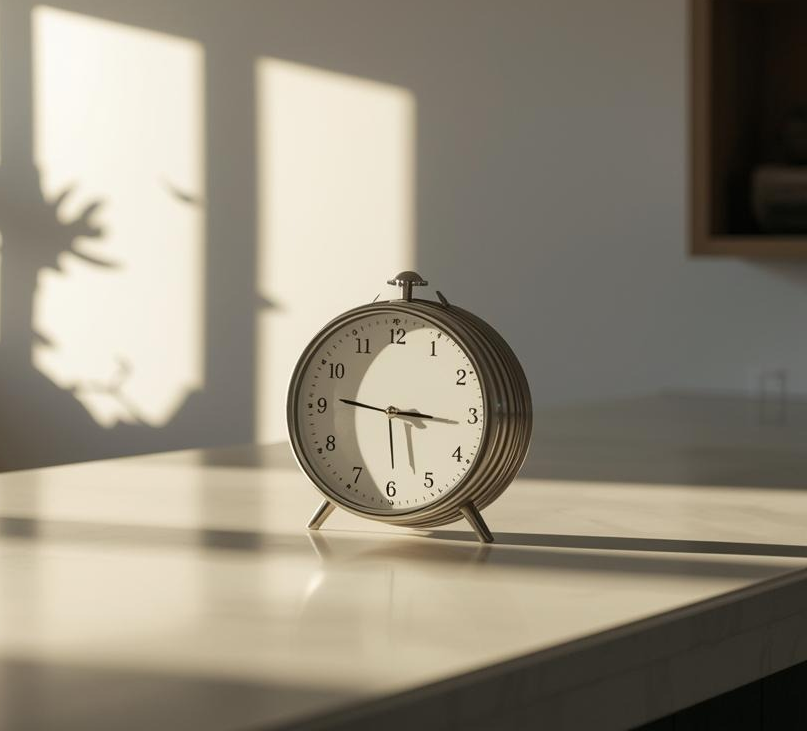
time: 5:46
